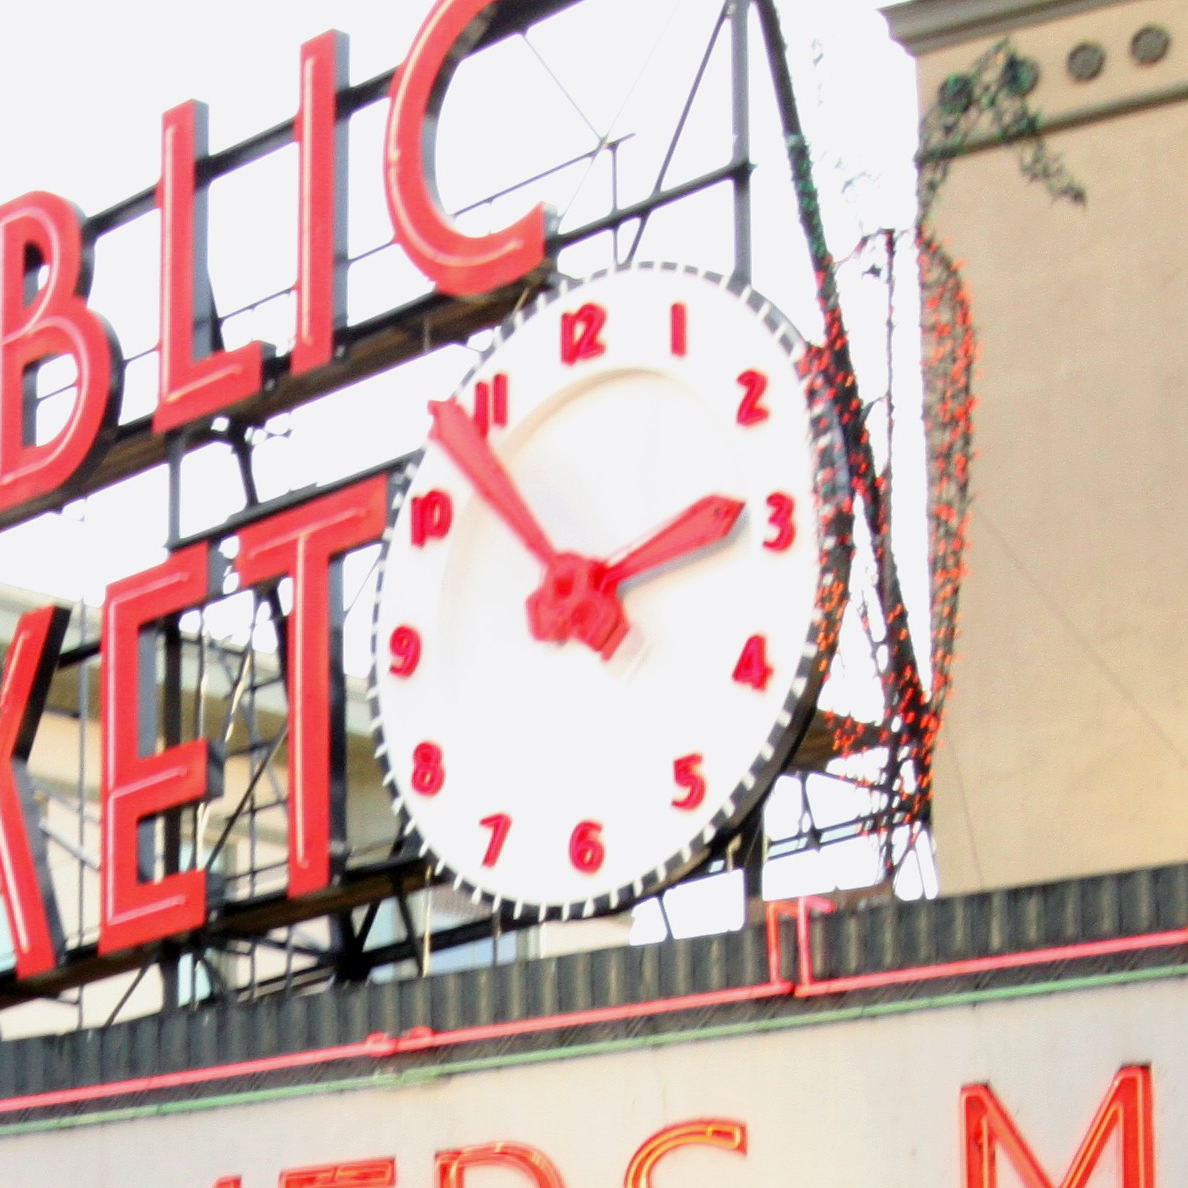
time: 2:53
